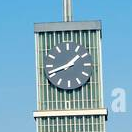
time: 1:41
